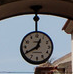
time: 12:40
